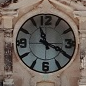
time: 11:19
